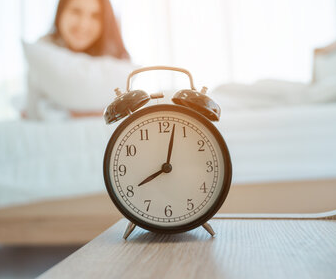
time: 8:02
